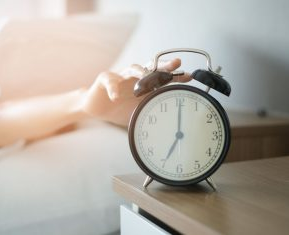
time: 7:00
